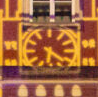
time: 6:21
